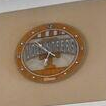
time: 6:52
